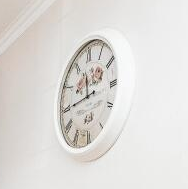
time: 11:44
